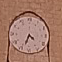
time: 4:33
